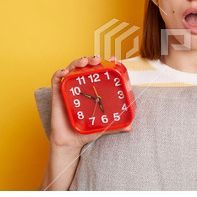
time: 5:49
